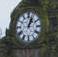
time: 1:02
